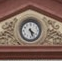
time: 4:26
